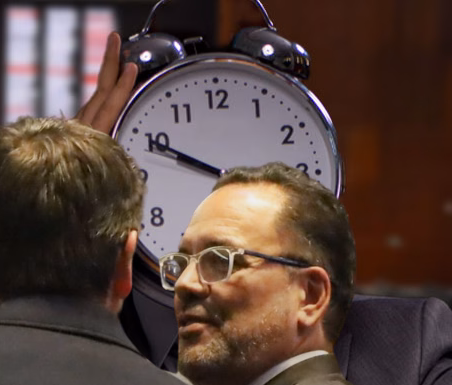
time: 2:49
